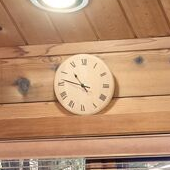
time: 10:47
